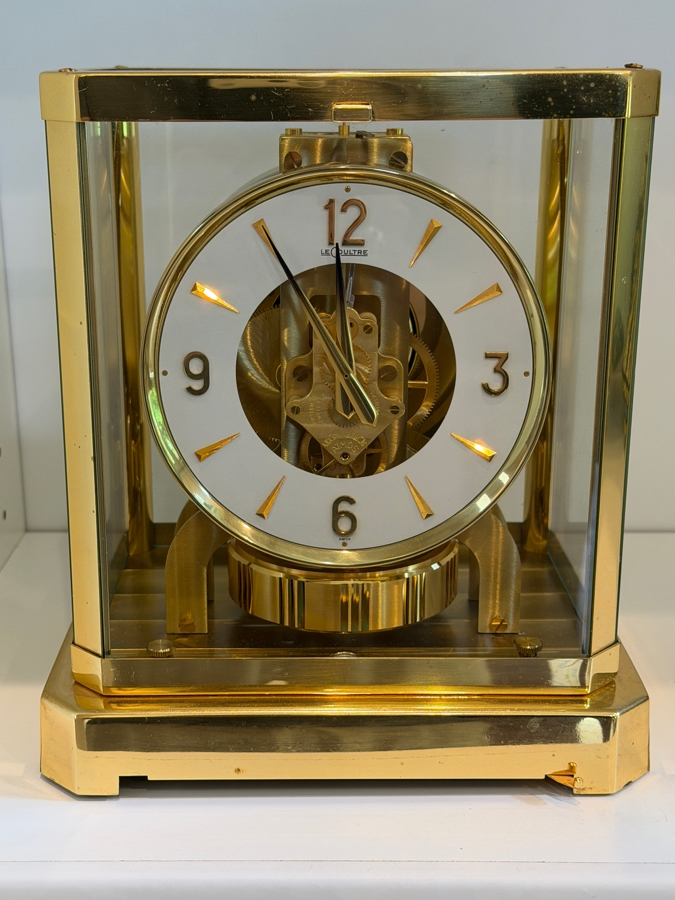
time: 4:59
